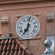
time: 7:01
